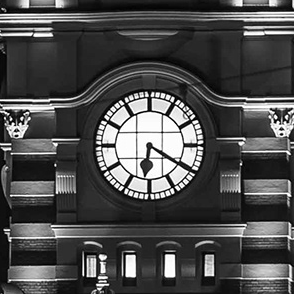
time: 6:19
